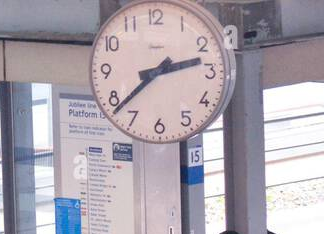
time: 2:38
